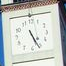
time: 5:26
